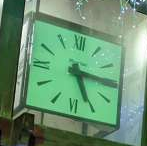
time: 5:15
